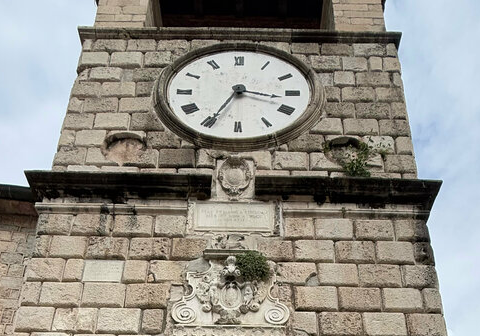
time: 3:34
